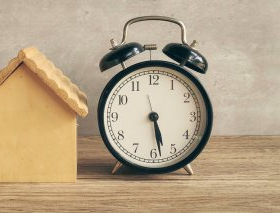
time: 5:28
